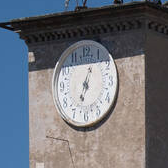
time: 7:03
